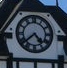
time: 4:38
